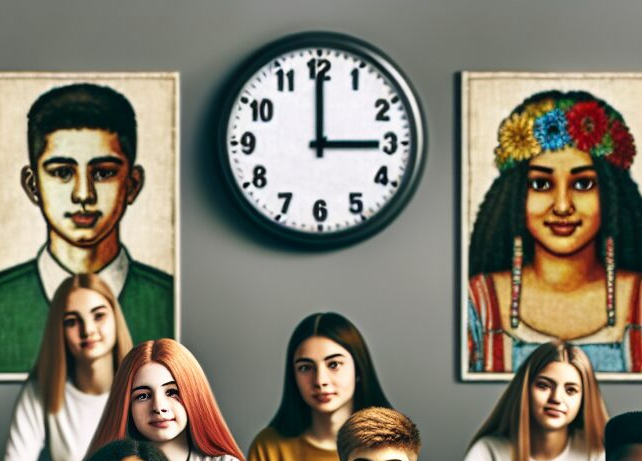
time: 2:59
